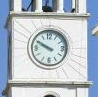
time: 9:49
